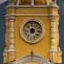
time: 6:52
